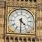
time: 4:30
